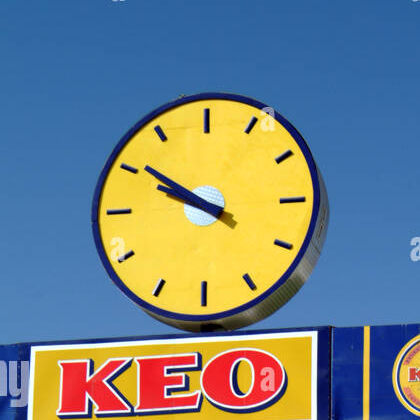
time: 9:50
